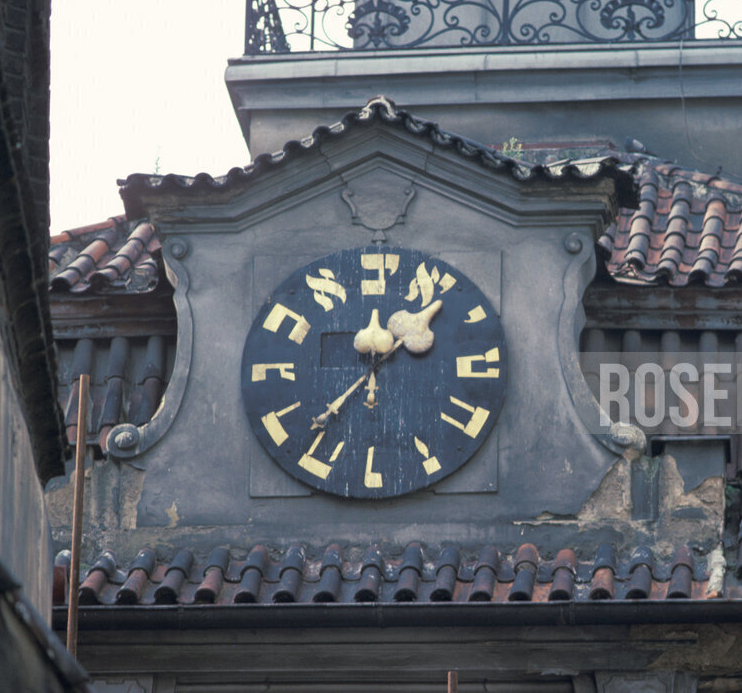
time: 12:37
